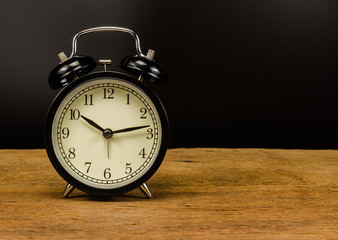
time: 10:13
